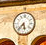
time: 5:36
